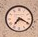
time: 7:19
